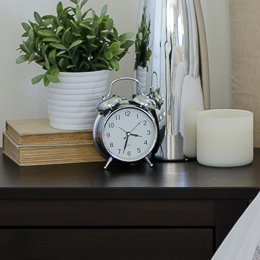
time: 3:32
